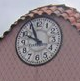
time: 9:56
